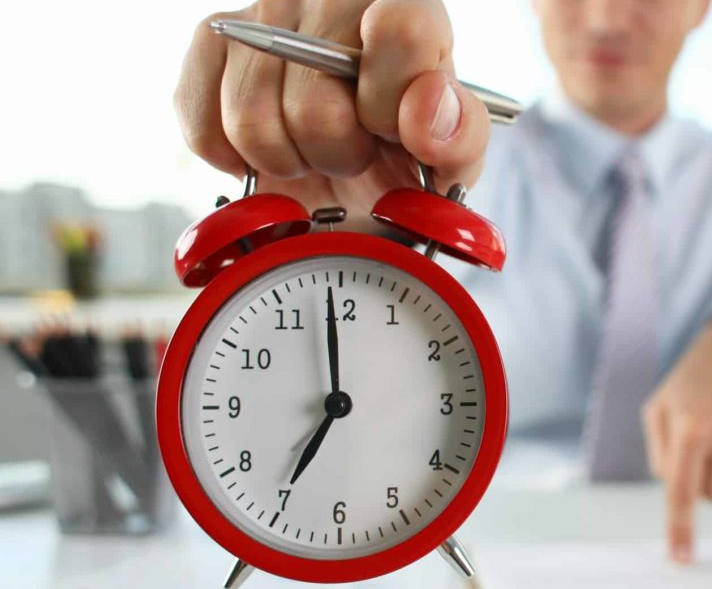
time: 6:59
